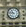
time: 10:46
